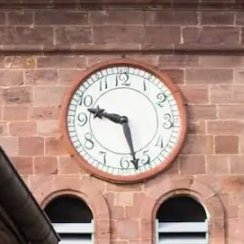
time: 9:27
